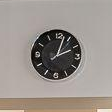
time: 2:02
